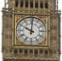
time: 10:00
